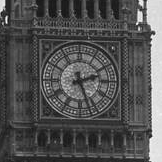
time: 2:26
